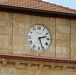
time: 2:26
